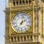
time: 2:02
